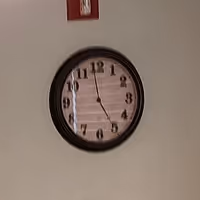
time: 4:59
